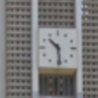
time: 10:28
